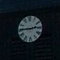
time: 2:45
